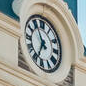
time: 6:55
